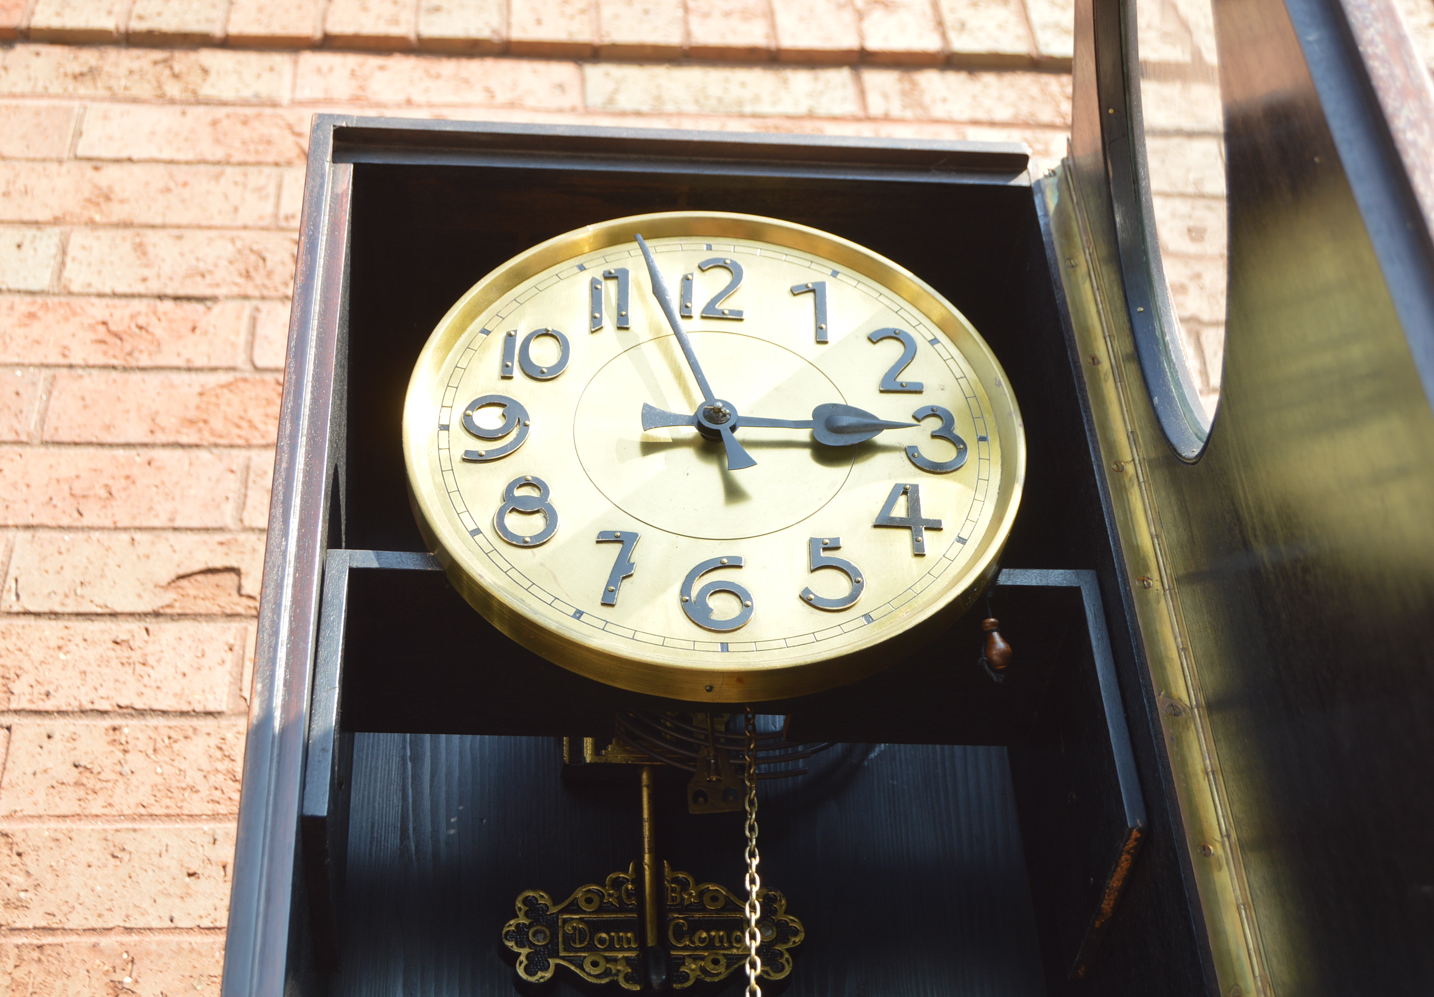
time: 2:56
